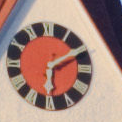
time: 6:10
